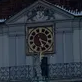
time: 5:18
